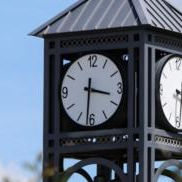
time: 3:31
